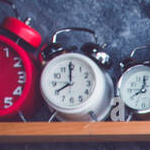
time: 7:59
